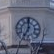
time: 7:00
